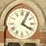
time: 4:04
